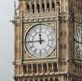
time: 11:44
